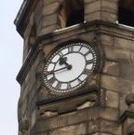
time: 10:43
